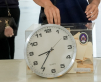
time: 8:36
